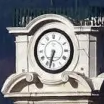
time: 6:32
